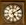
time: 5:09
